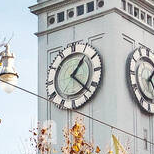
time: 1:22
